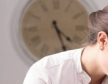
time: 4:26
